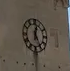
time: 12:24
